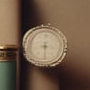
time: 8:28
